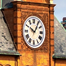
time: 10:05
